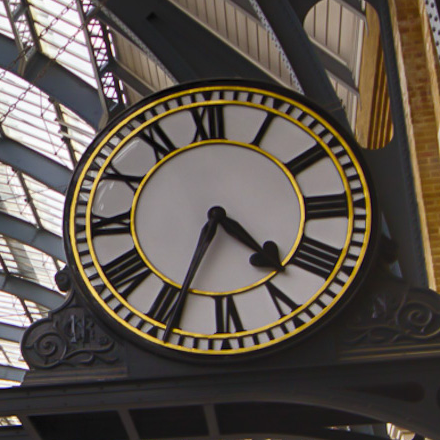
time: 4:34
